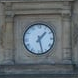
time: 1:27
